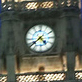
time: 4:38
